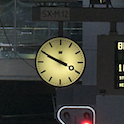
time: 9:49
